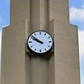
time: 9:51
